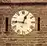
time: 12:46
